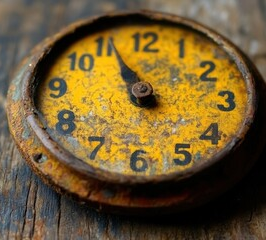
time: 10:55
